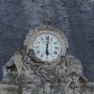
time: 6:01
